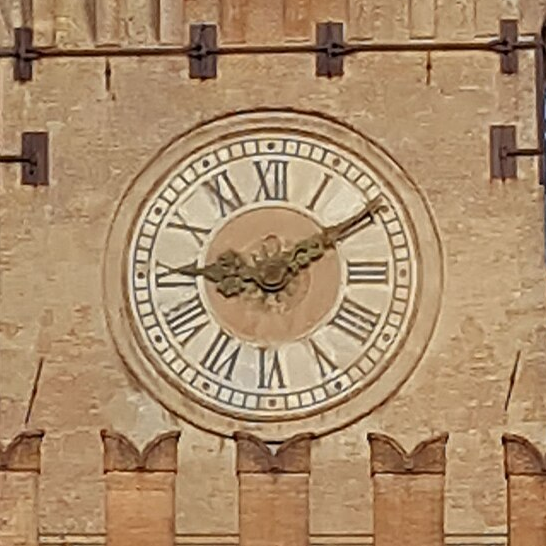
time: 9:09
